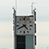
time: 4:40
